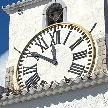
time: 11:50
